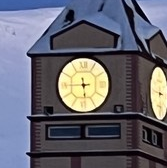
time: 5:44
